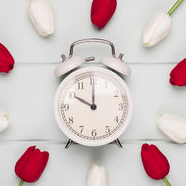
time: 10:00
